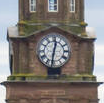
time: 12:31
